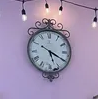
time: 5:19
